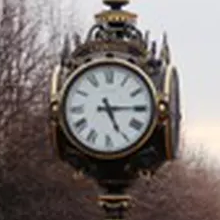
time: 5:14
